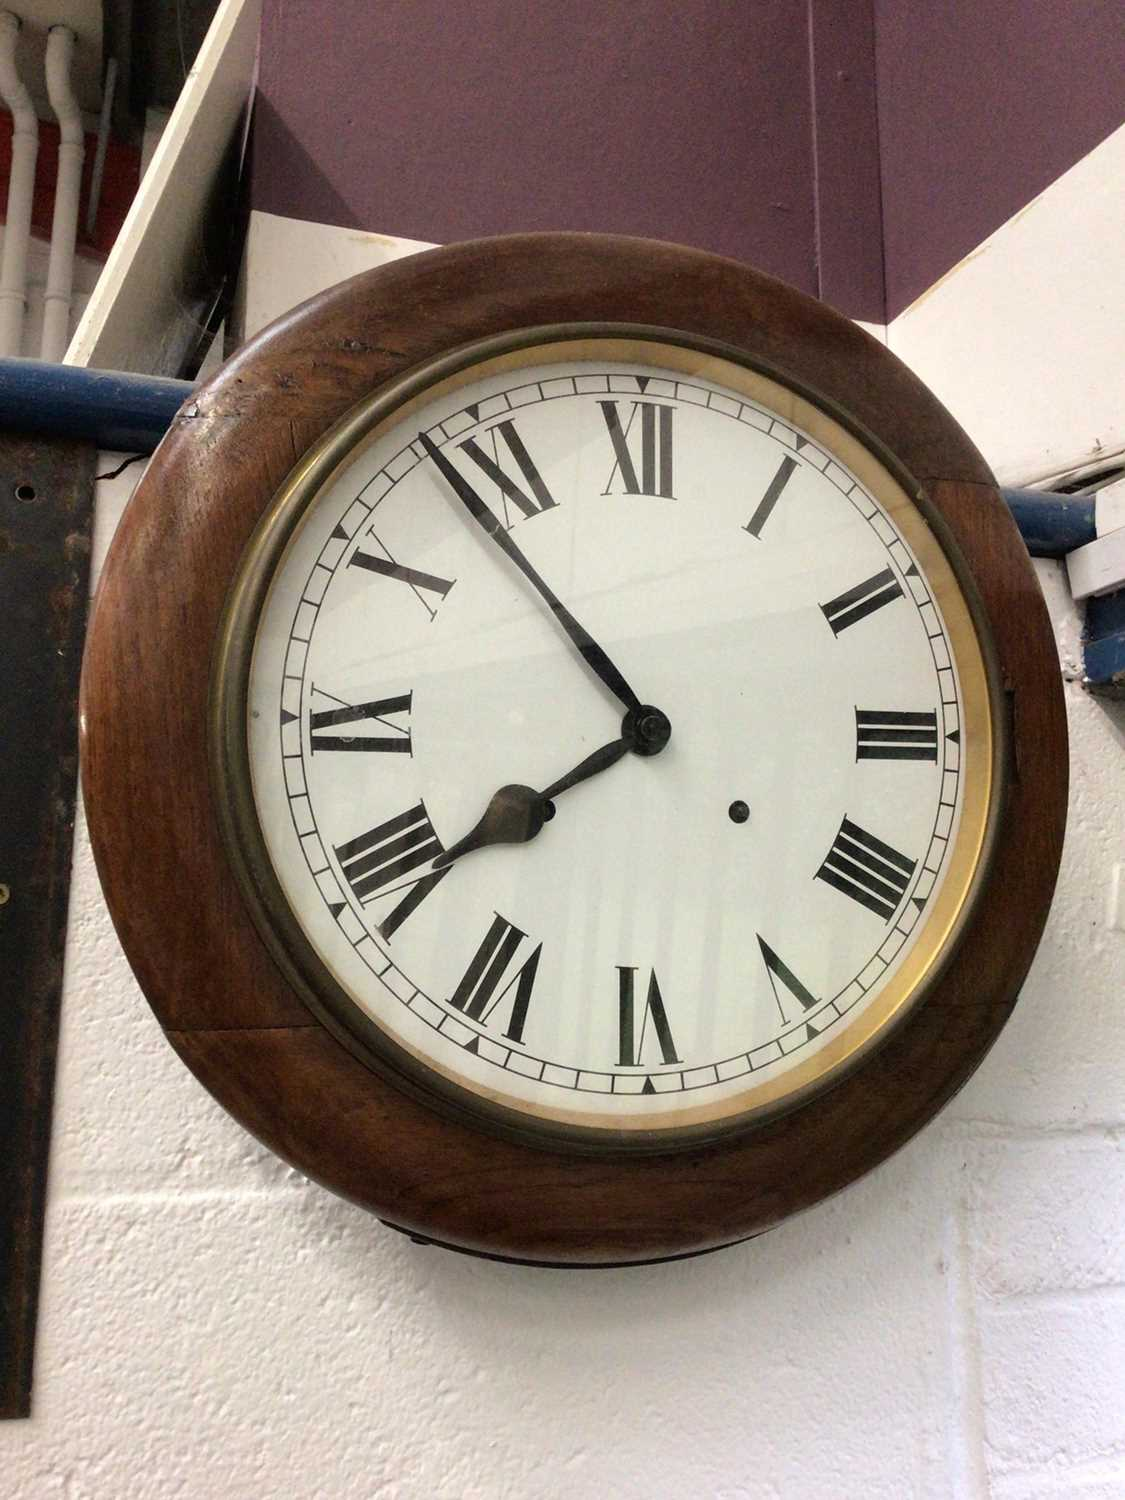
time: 7:53
